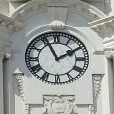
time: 1:55
